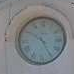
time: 4:50
